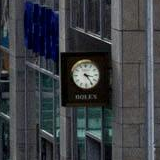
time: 3:23
